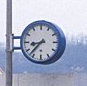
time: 8:37
